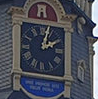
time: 2:02
